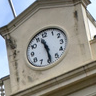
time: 11:29
